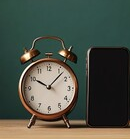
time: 10:07
